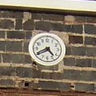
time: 4:40
